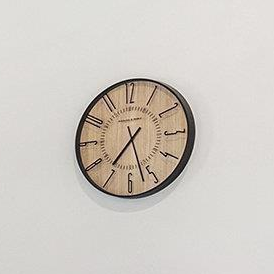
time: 7:27
